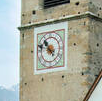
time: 10:48
